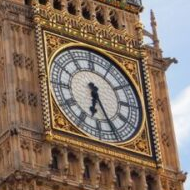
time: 6:25
